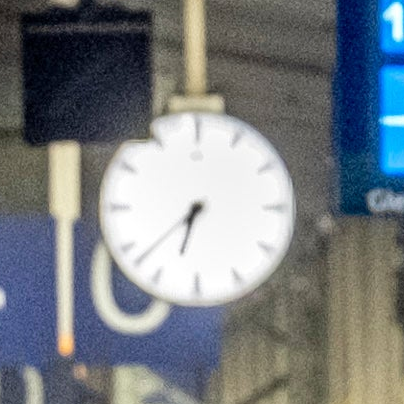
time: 6:38
